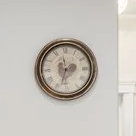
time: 2:33
